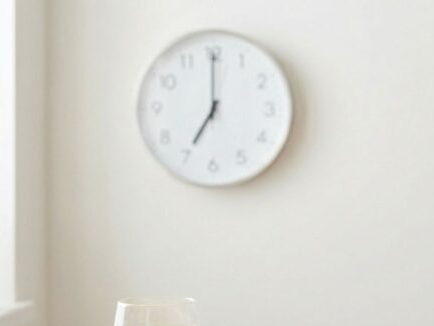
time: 7:00
